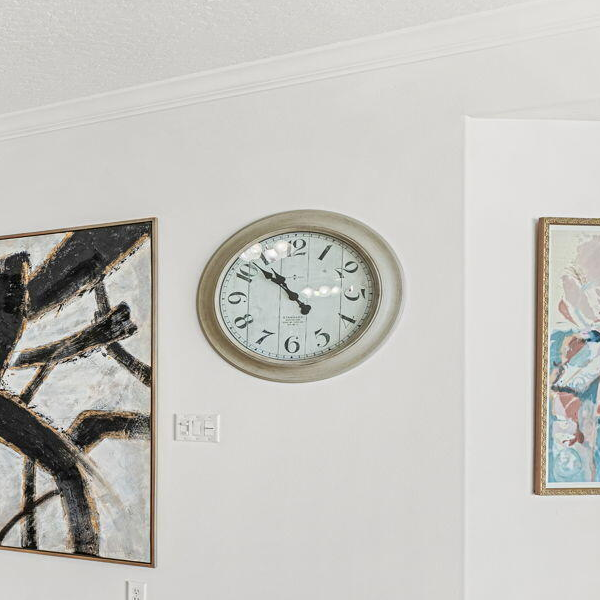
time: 10:53
